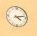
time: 4:12
